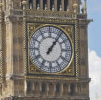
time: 1:06
